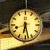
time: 6:27
